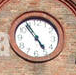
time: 4:54
